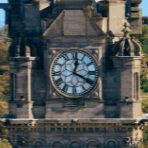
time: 12:19
